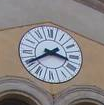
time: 3:40
